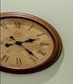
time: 2:23
